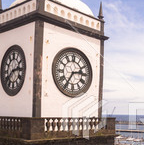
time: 2:35
